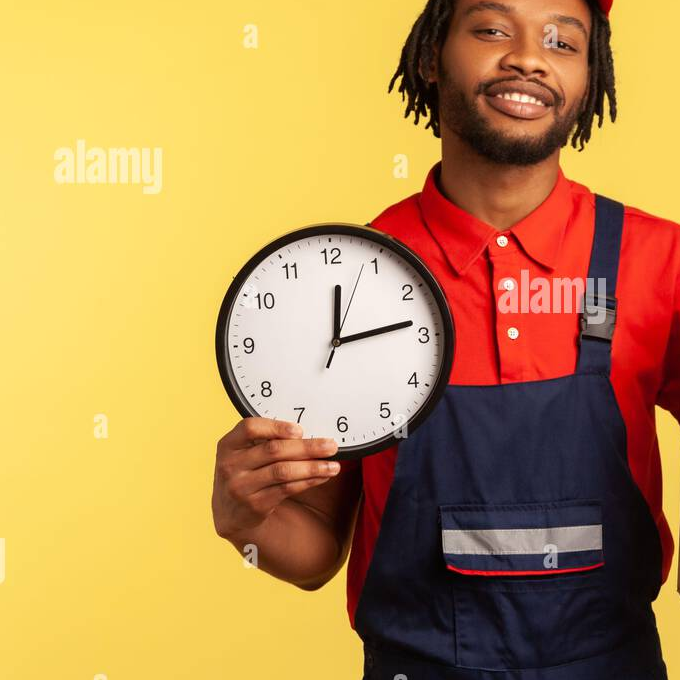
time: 12:13
